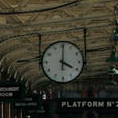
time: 4:00
